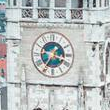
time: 1:35
